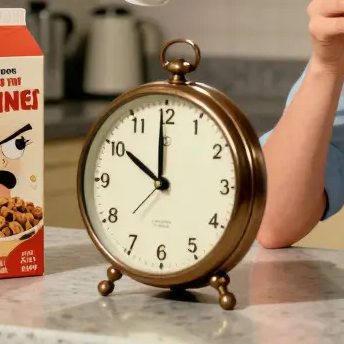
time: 9:59
